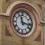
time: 11:16
